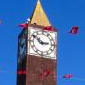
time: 2:50
